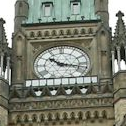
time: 10:17
